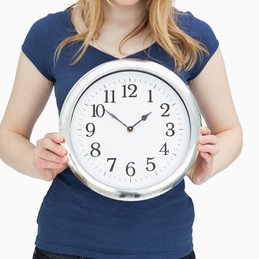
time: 1:51
